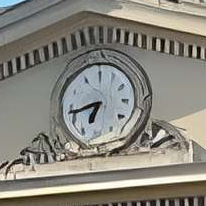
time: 6:42
